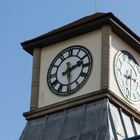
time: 2:29
